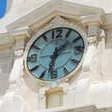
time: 1:32
